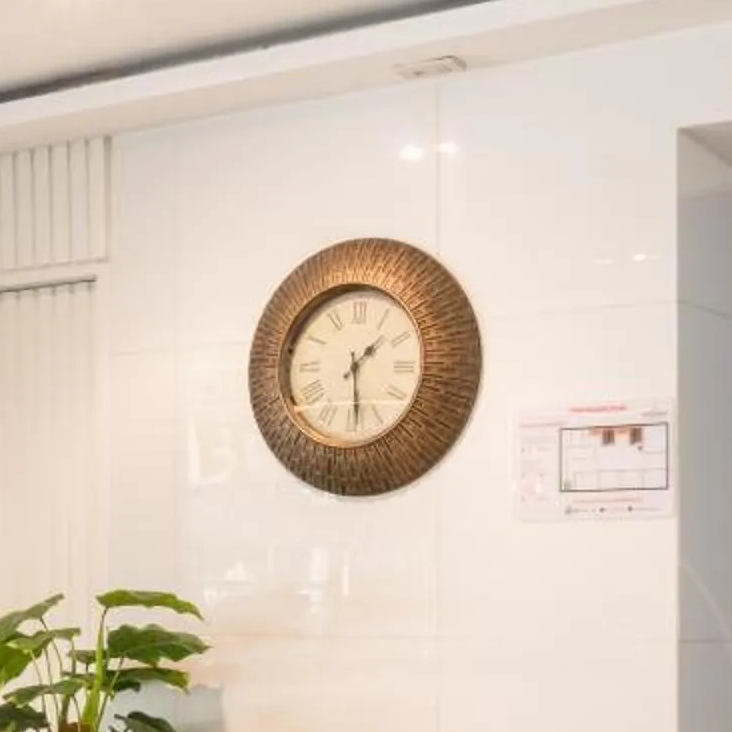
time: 1:28
